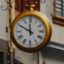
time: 11:49
